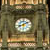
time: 8:09
